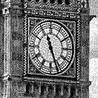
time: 11:26
